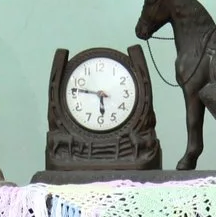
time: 5:46
